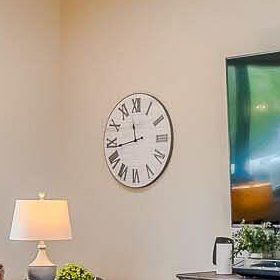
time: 11:43
